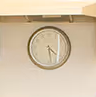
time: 4:28
